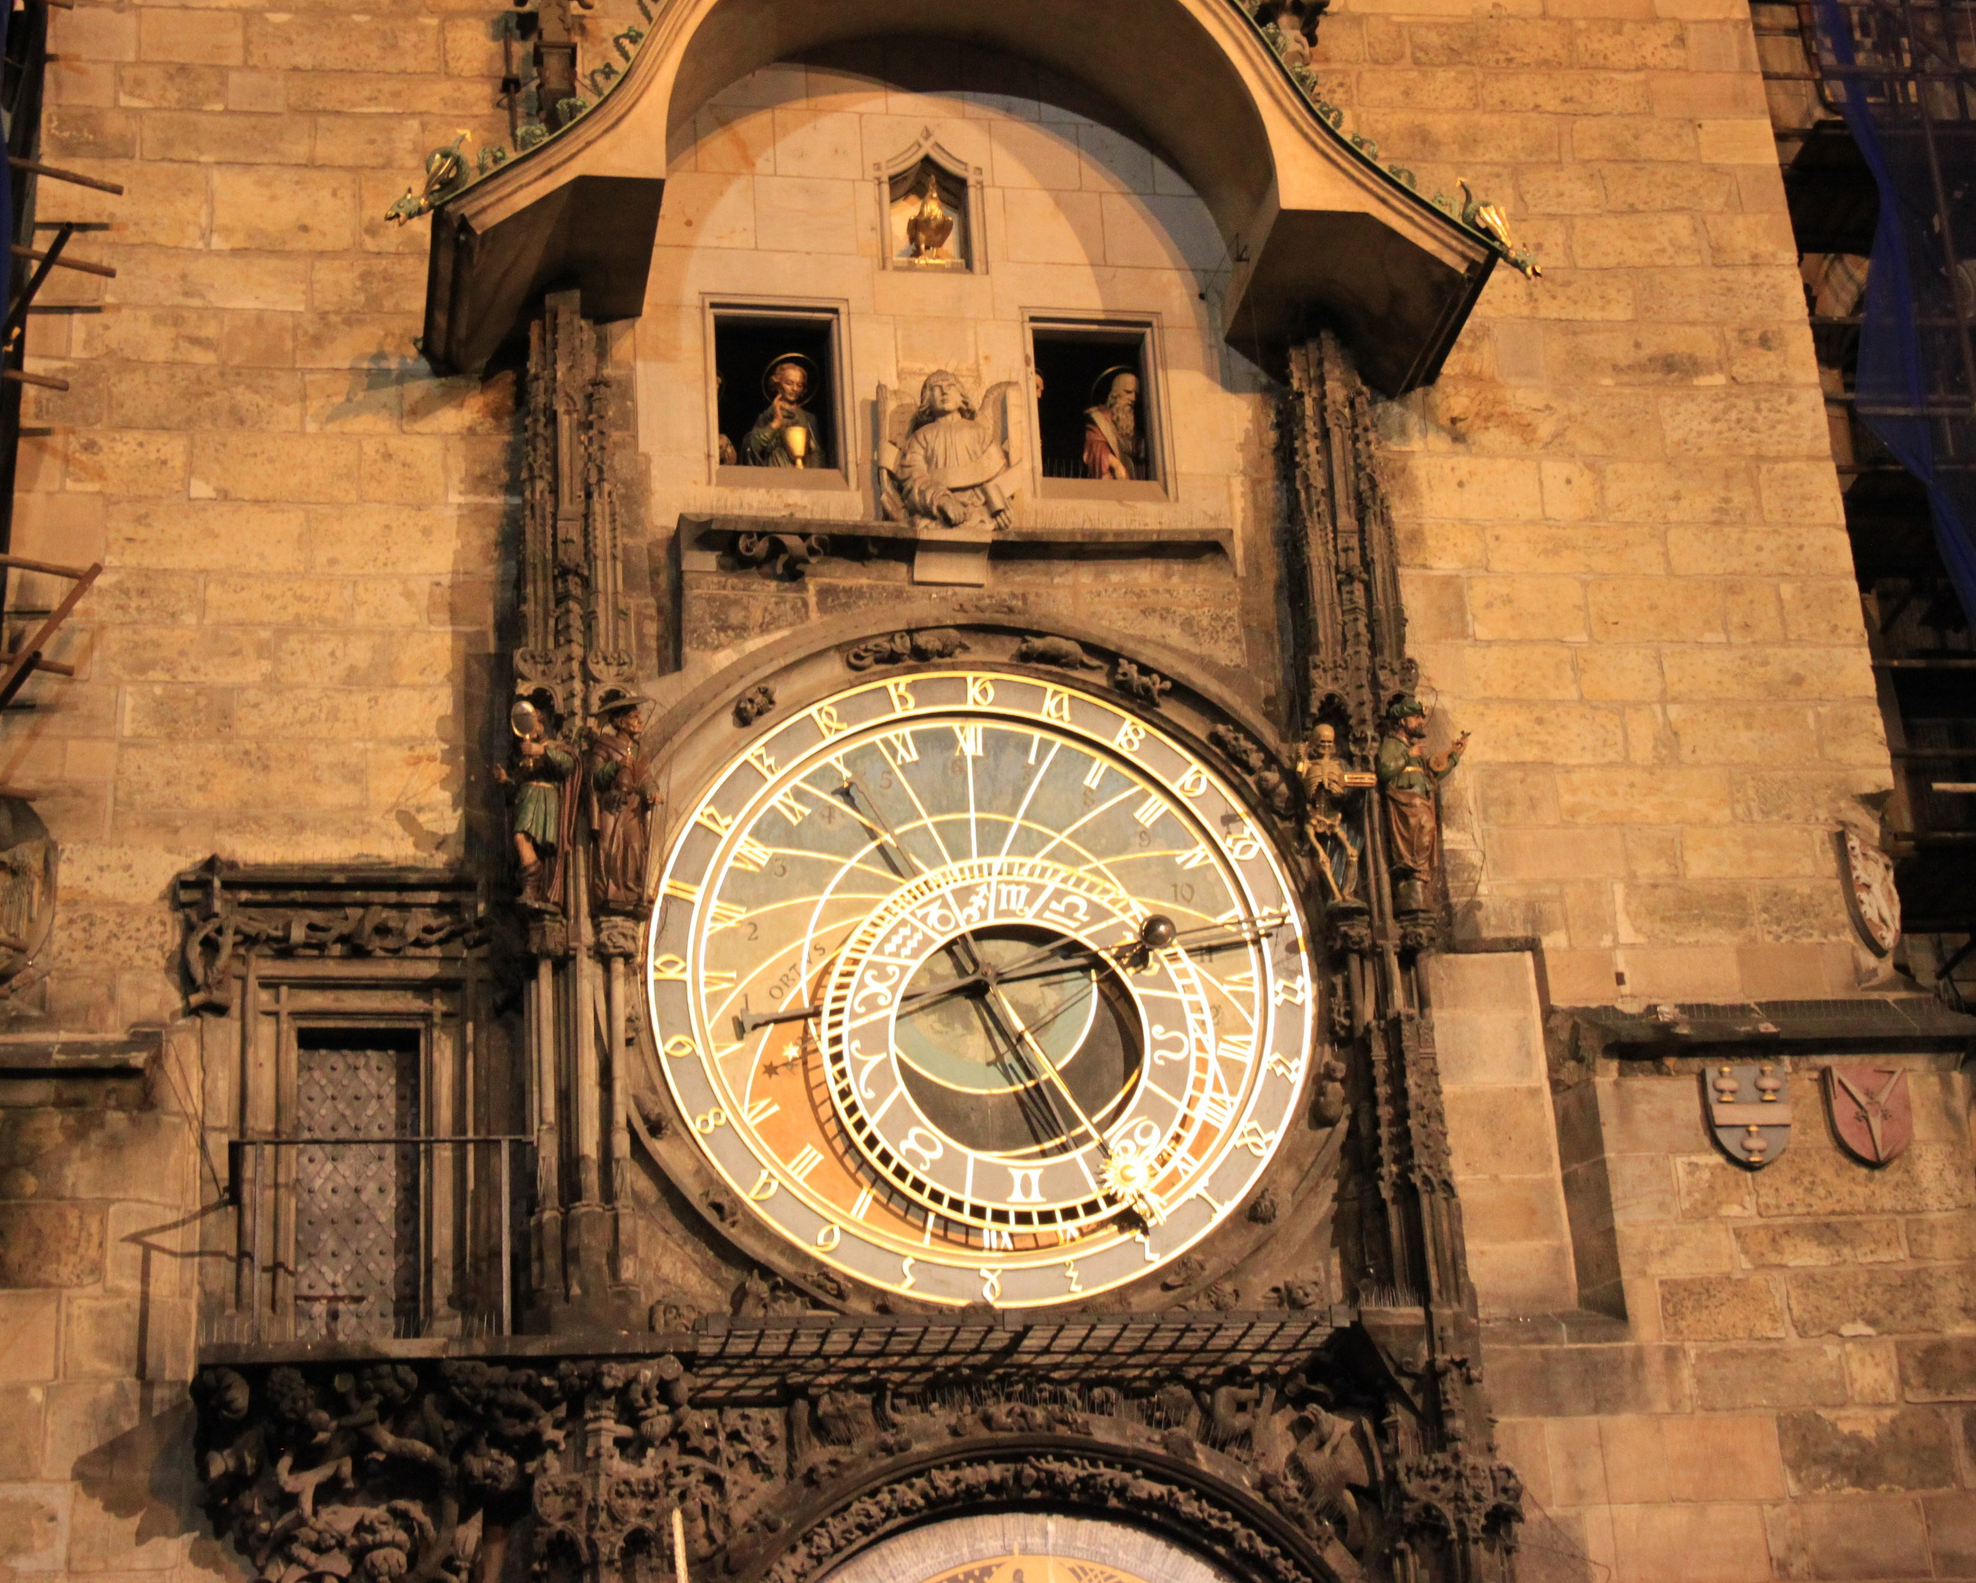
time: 2:25
